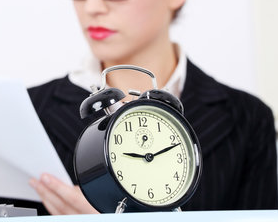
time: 9:11
